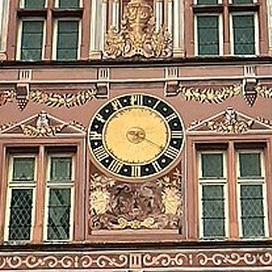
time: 3:19
